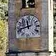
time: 11:42
